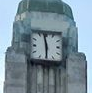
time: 5:58
